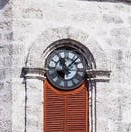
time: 11:07
